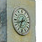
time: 6:41
